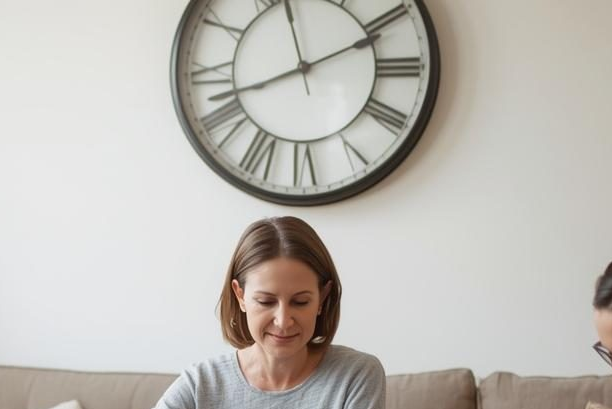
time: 11:41
